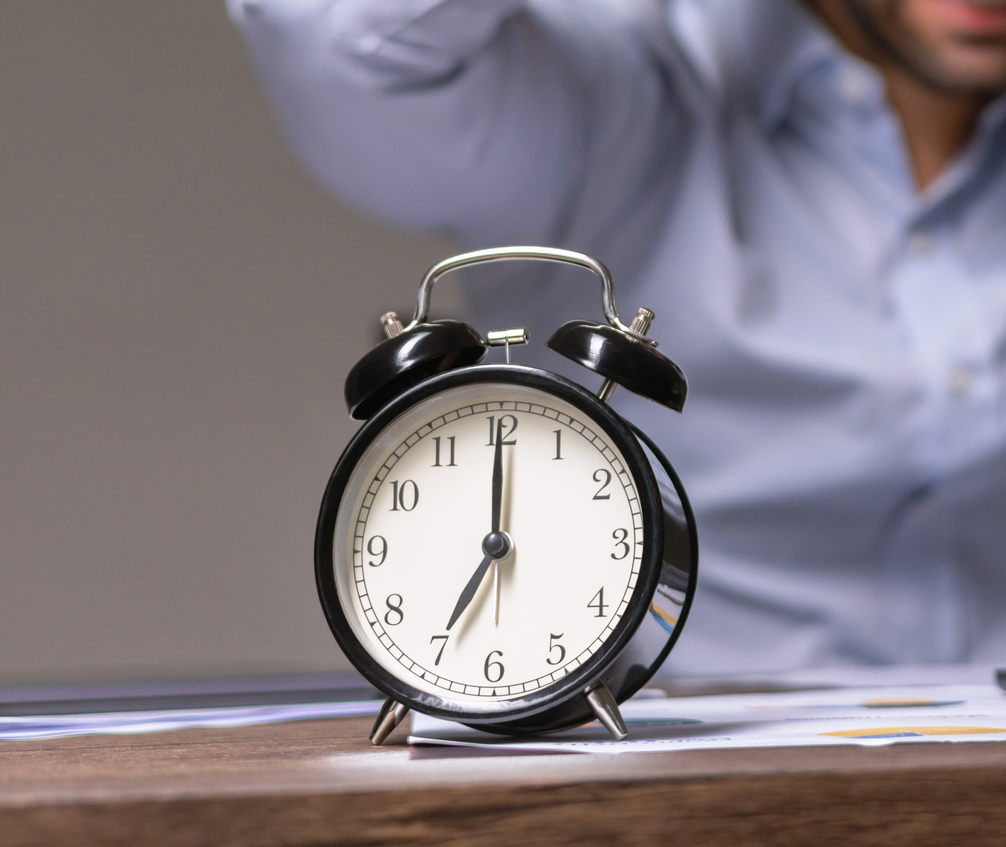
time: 7:00
